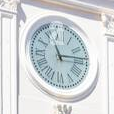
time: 11:13
